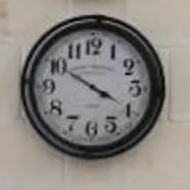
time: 3:50
